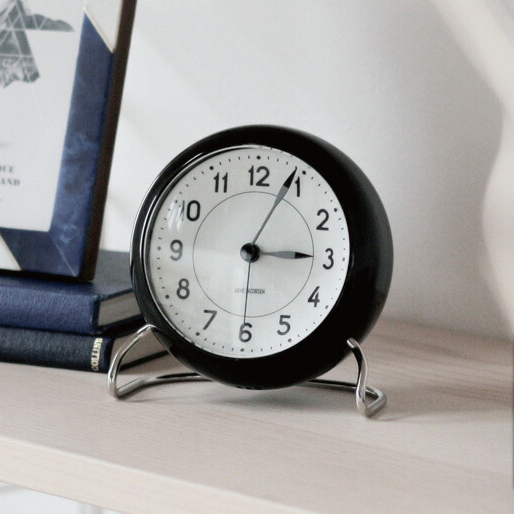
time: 3:04
